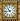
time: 10:43
